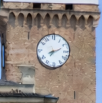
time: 7:11
